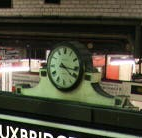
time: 4:16
